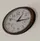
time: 1:16
